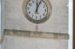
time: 12:03
